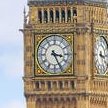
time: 3:25
